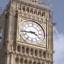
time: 3:43
